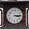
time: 3:14
